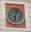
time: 6:03
